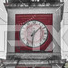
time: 1:31
